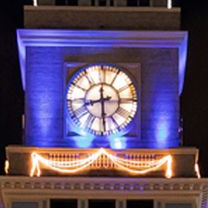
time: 8:29
